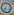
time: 7:32
